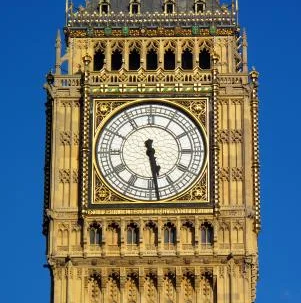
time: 5:28
